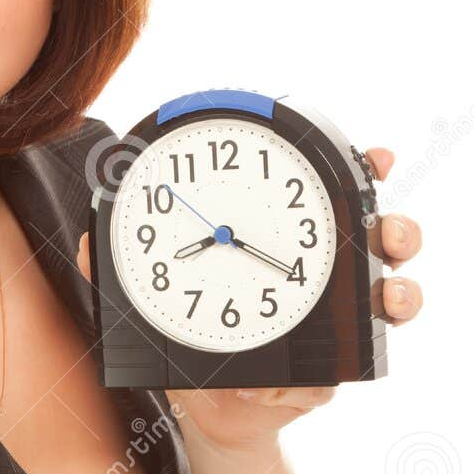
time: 8:19
